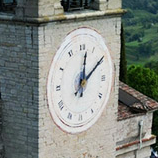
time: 12:09
